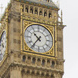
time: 10:36
